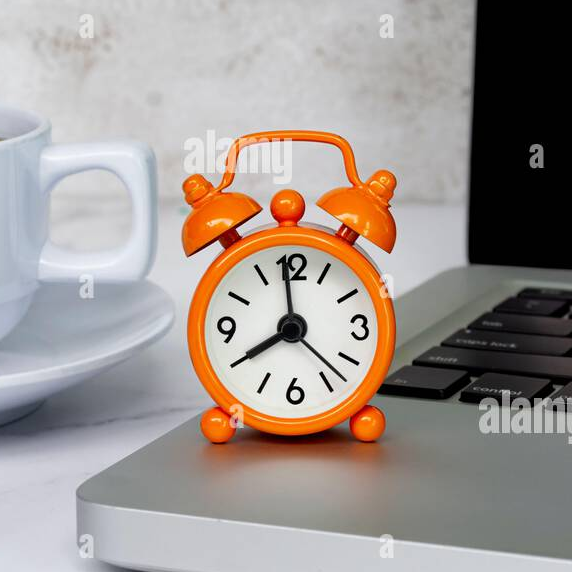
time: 7:59
